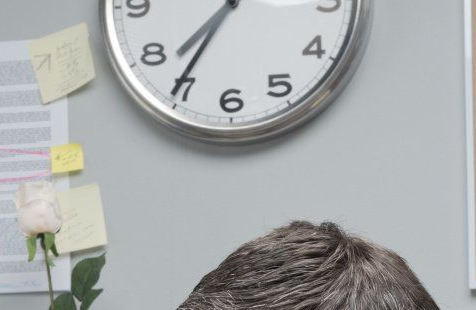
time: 7:35
